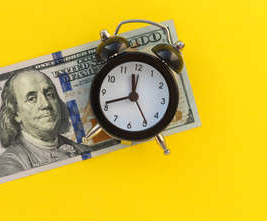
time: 11:41
